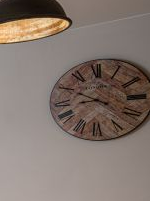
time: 8:49
